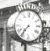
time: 7:36
